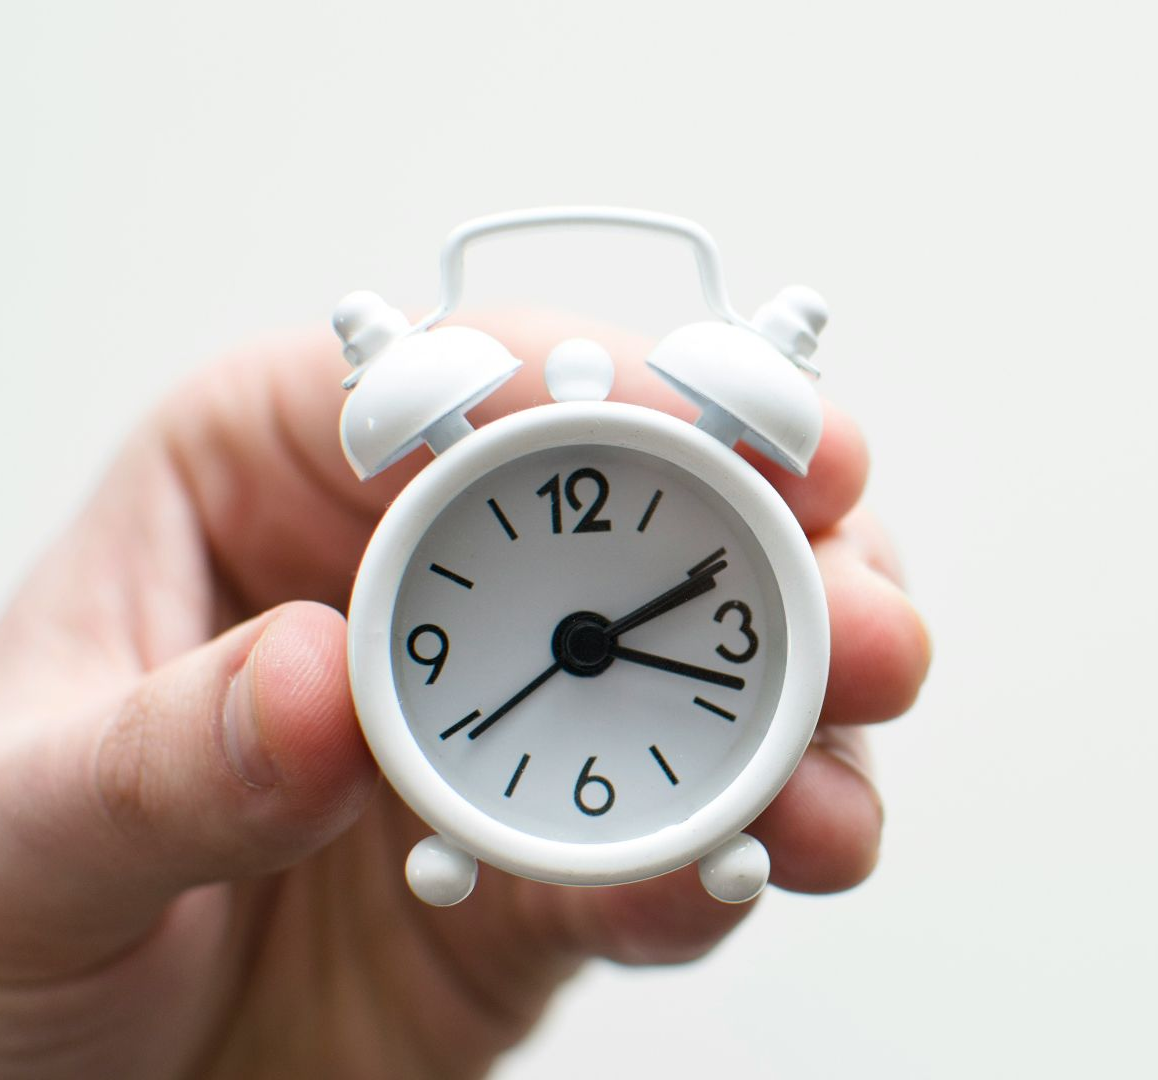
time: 2:18
